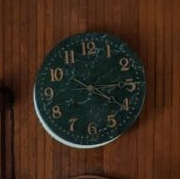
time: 3:20
